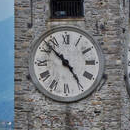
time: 4:52
